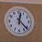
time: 12:22
